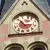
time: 2:52
